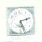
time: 2:26
